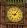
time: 9:05
